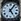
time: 5:06
